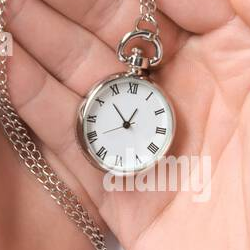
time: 12:52
